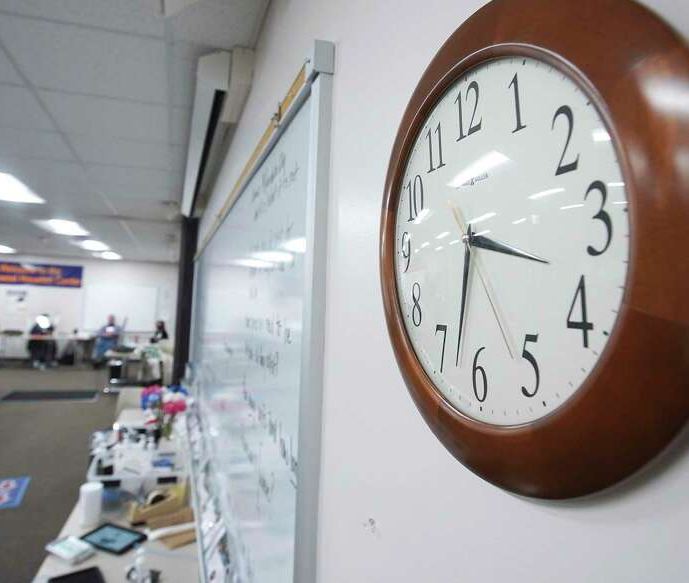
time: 3:32
